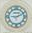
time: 9:11
